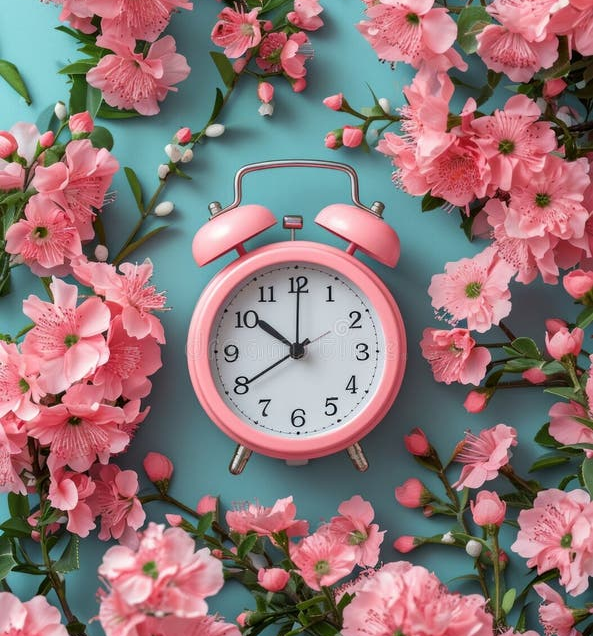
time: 10:00
